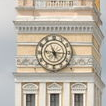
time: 5:15
